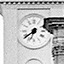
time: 6:38
